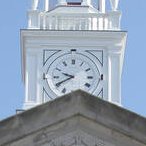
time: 9:40
